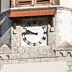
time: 9:45
